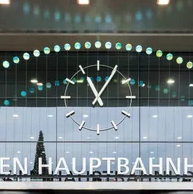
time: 11:05
